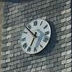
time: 6:53
